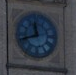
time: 11:41
